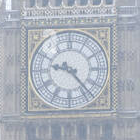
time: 9:23
